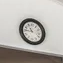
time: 10:45
